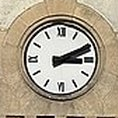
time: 3:11
